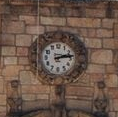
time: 2:13
